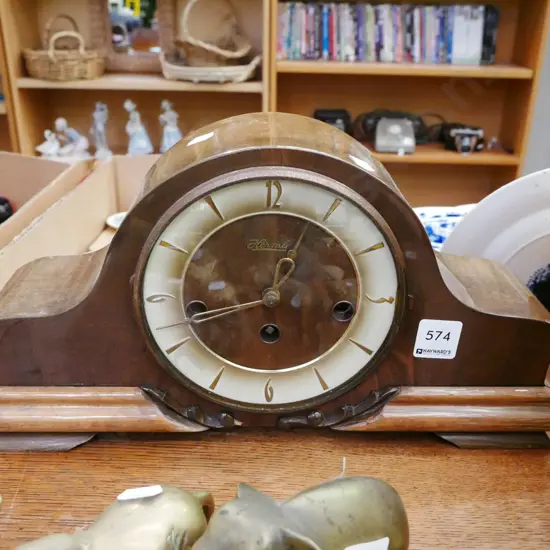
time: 12:41
